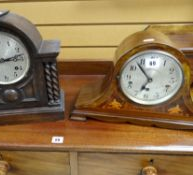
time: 6:53
